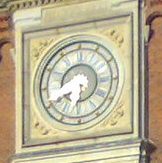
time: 6:40
